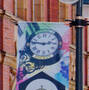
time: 2:46
